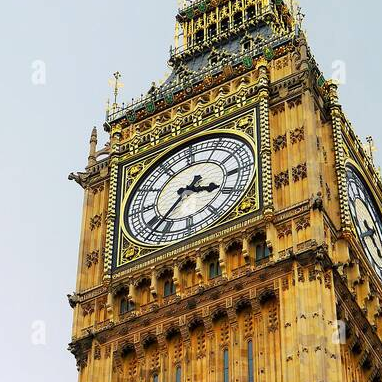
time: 3:37
